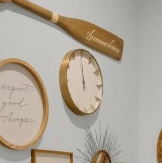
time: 11:59
